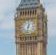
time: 12:32
